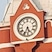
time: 5:33
